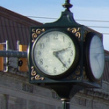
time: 2:23
